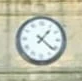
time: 1:21
